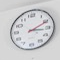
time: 3:10
